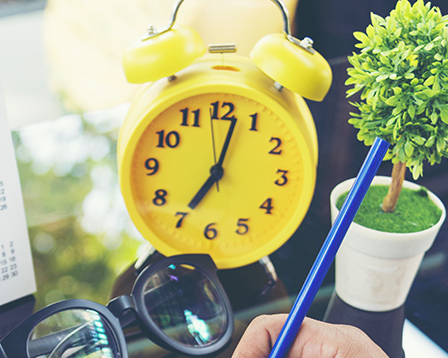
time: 7:02
